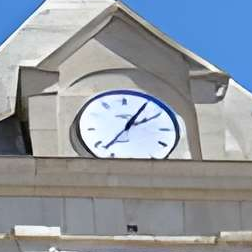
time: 2:05
